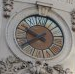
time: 9:40
